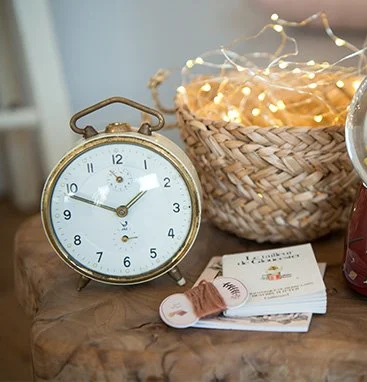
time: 1:48
